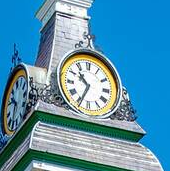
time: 10:34
